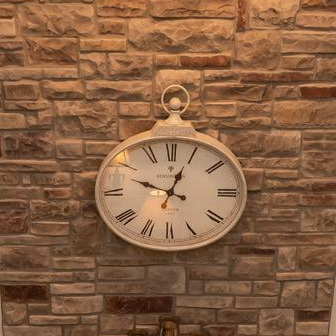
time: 12:48
